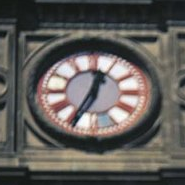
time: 12:34
